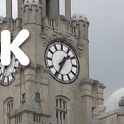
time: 1:34
